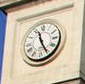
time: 11:25
